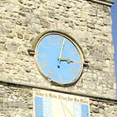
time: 3:02
